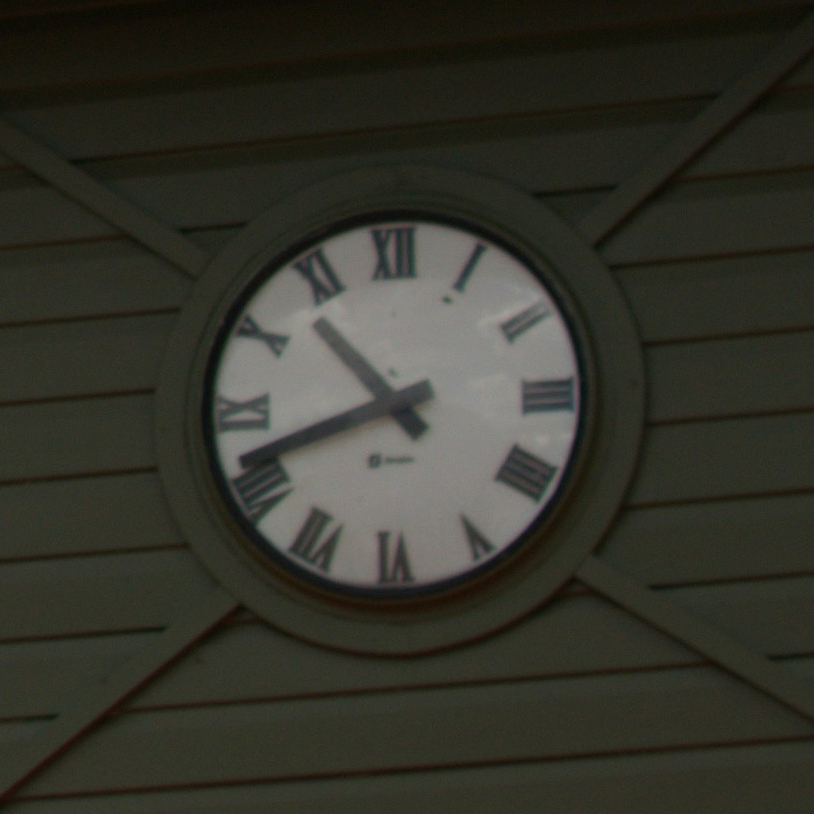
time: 10:41
